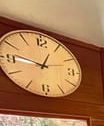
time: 12:46
